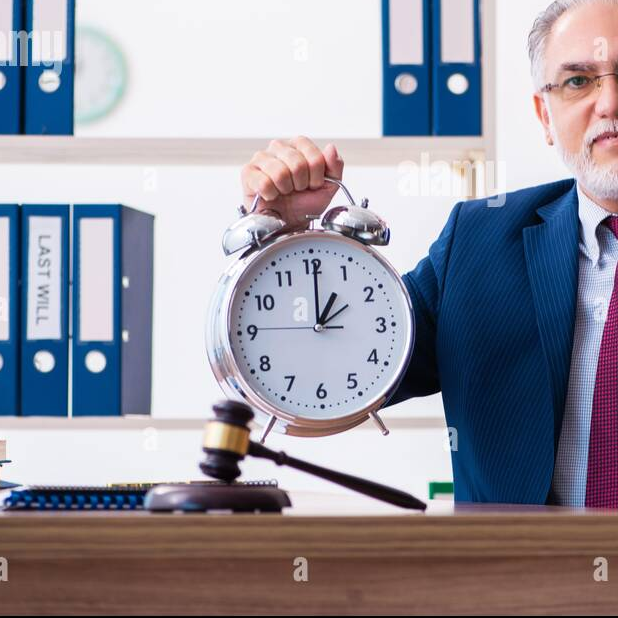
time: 1:00
